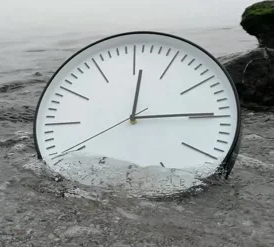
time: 12:14
